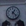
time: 1:22
